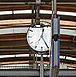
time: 12:23
